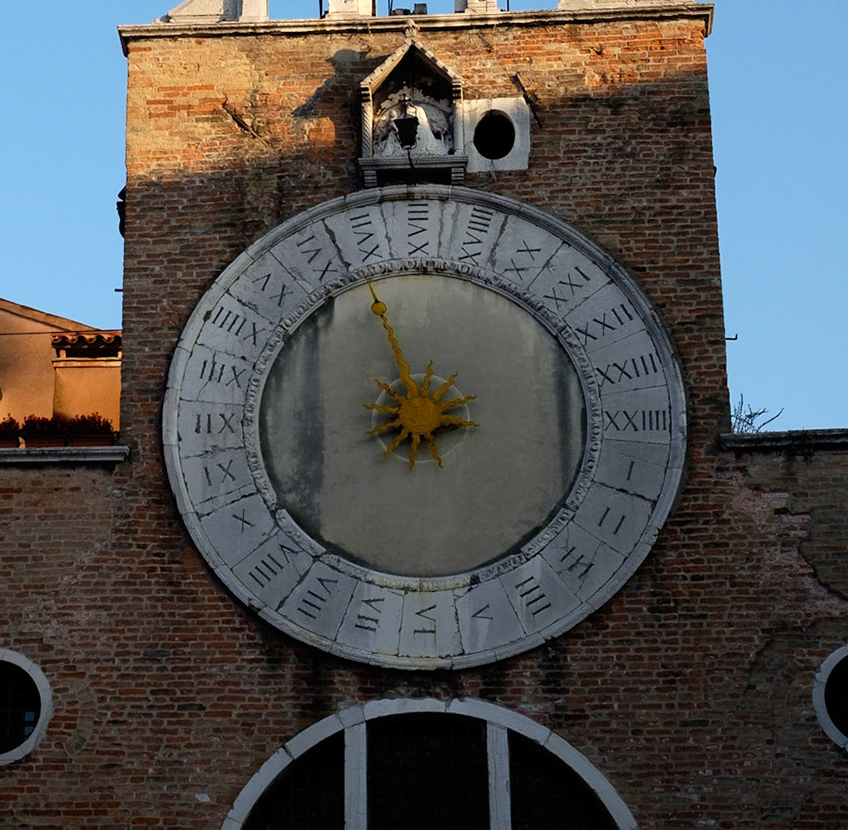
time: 7:55
